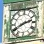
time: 2:40
